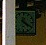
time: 4:20
